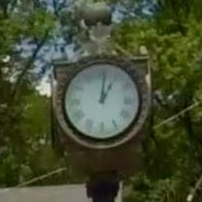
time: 1:01
